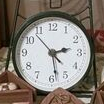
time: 2:28
